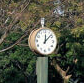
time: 12:07
